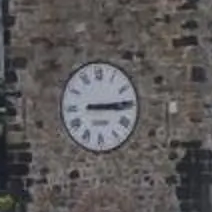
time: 3:14
